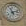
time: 11:12
